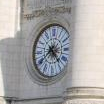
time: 4:38
